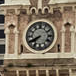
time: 7:40
